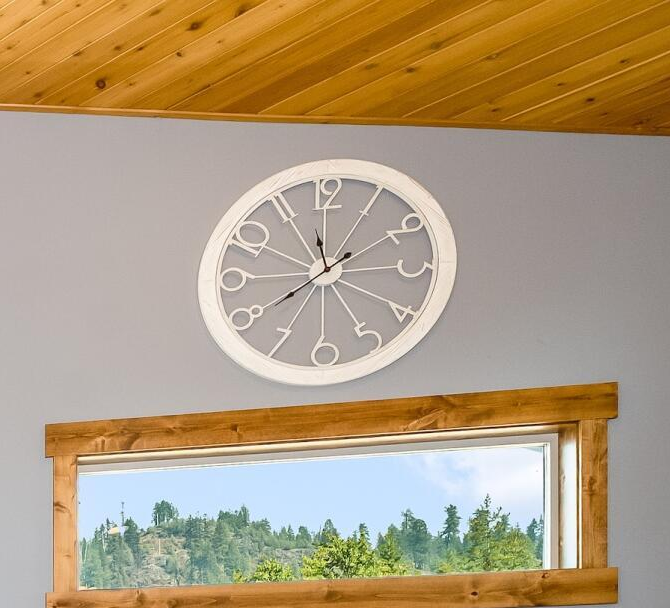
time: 11:39
